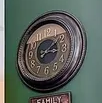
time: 3:09
